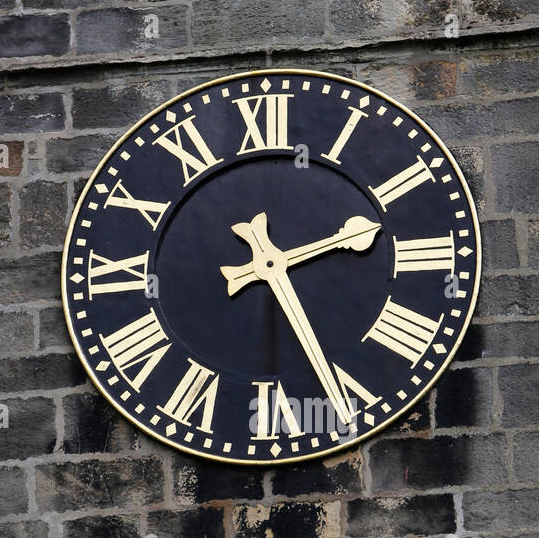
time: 2:26
